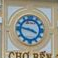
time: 3:46
